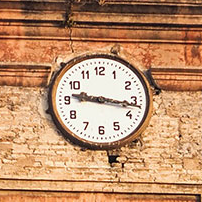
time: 9:16
